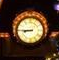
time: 8:45
